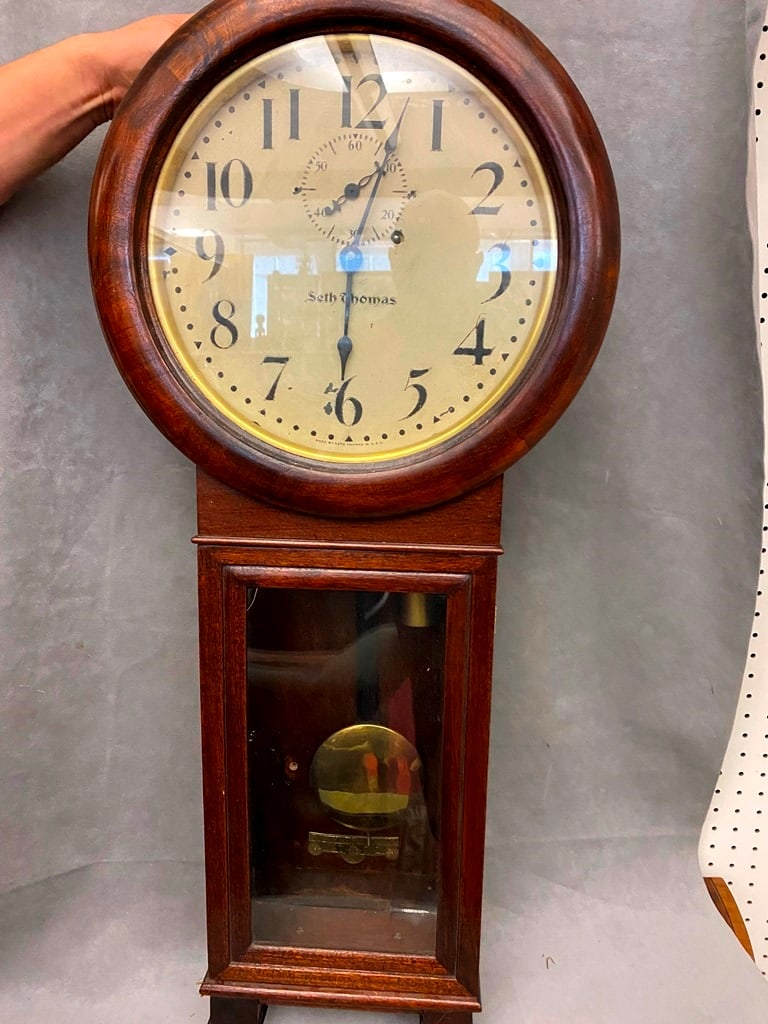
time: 12:30
